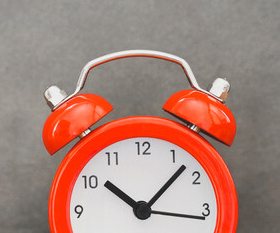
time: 10:07
